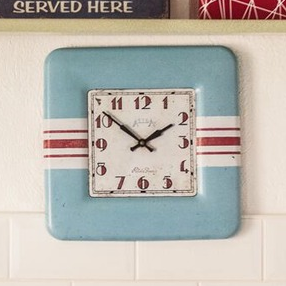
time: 1:51
